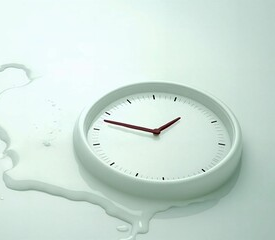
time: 1:47
